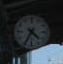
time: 4:35
